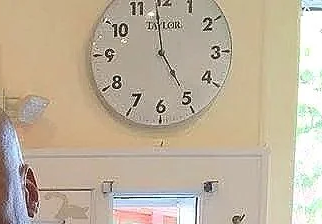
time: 4:58
